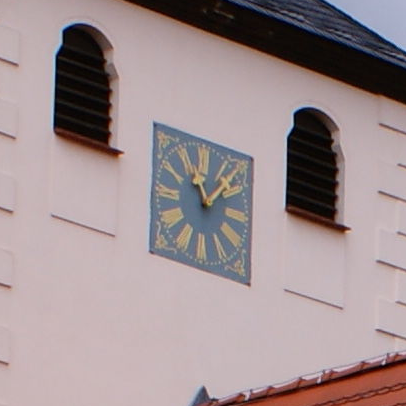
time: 11:07
